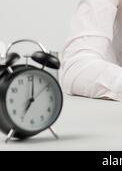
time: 7:01
